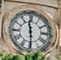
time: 11:29
